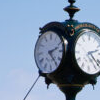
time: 2:23
